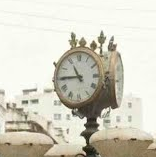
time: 10:44
